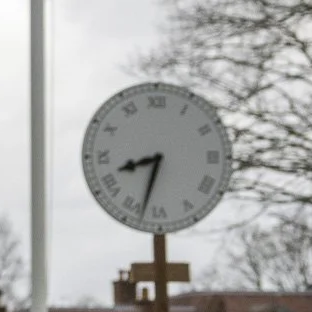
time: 8:32
